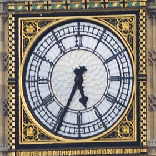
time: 5:34
